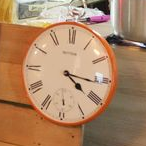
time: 4:16
